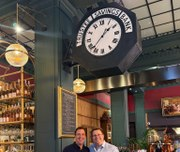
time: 1:37
